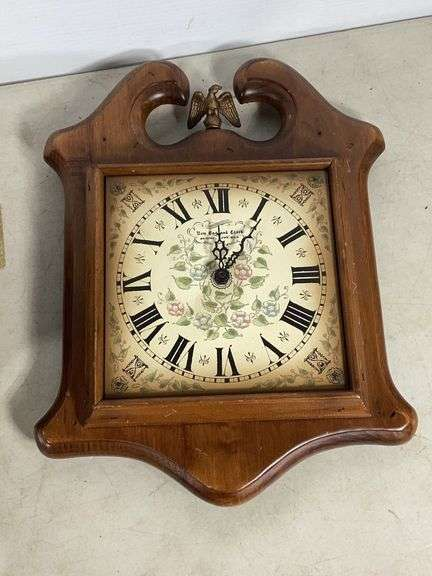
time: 12:05
